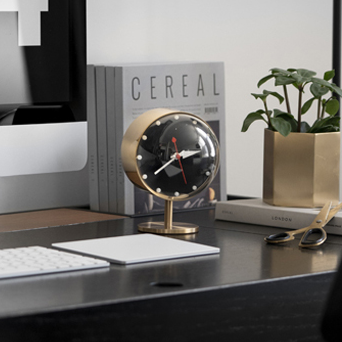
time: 2:39
